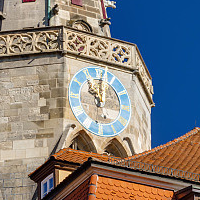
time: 10:00
